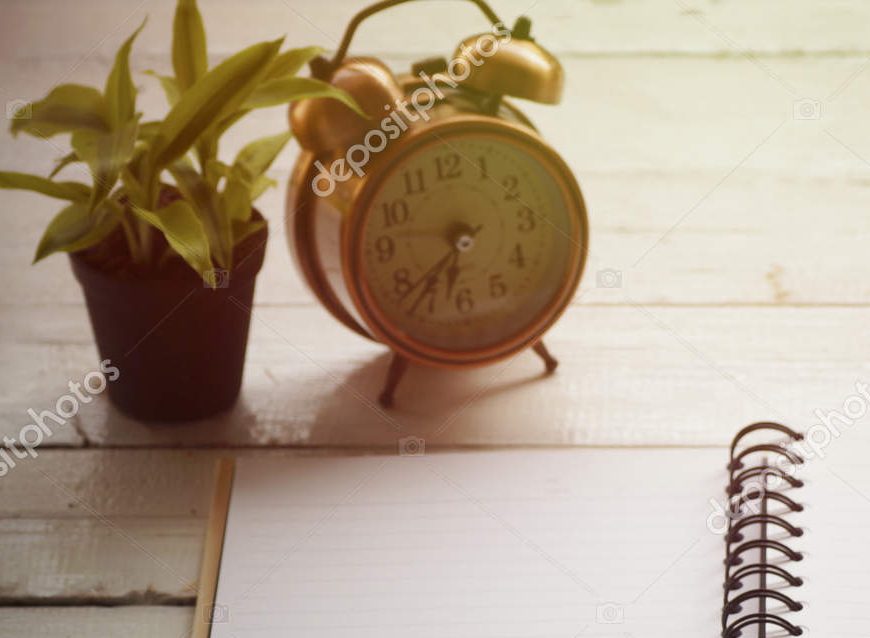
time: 6:36
